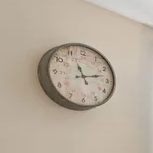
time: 11:12
